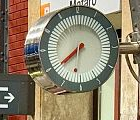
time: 7:39
